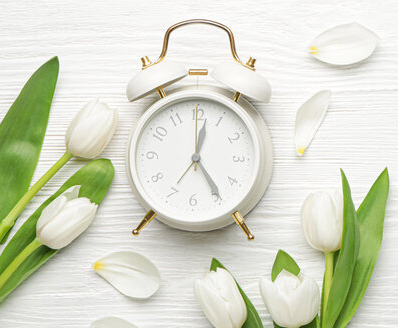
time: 12:24
